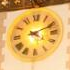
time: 4:11
